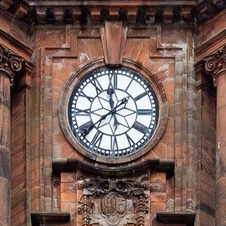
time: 11:38
